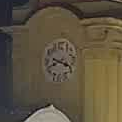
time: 3:40
